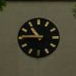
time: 10:45
